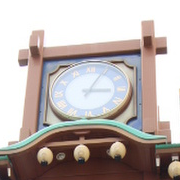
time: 3:04
